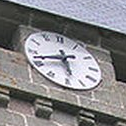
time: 5:42
